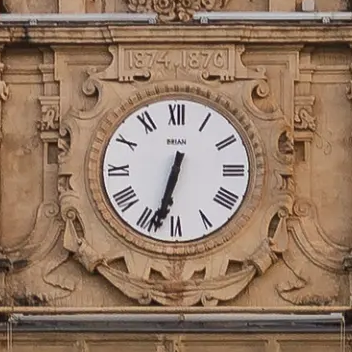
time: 6:32
